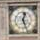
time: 12:26
